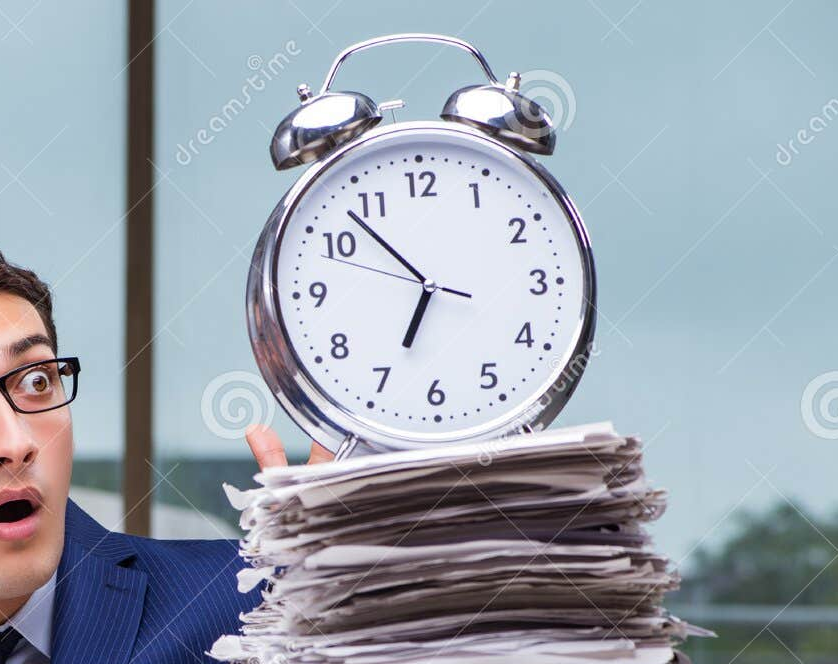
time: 6:52
